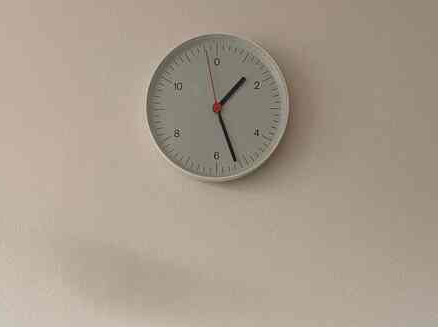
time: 1:26
